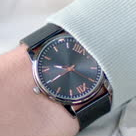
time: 9:20
